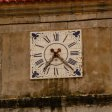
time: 7:22
